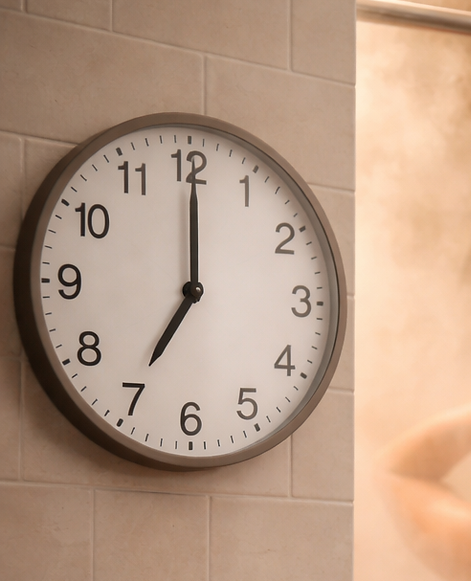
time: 7:00
